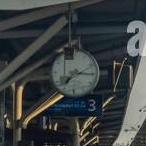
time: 7:15
